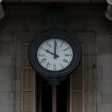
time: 10:00
